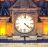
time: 4:22
